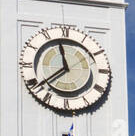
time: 11:38
